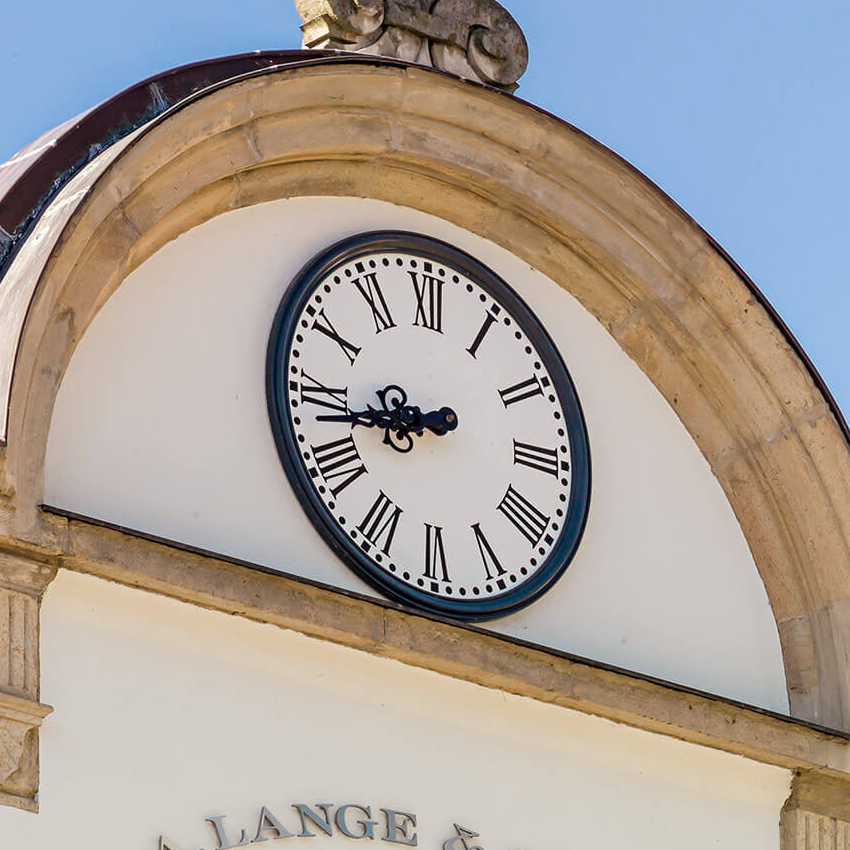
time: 8:43
